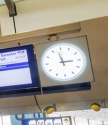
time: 2:57
